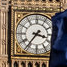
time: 3:36
